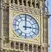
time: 3:00
